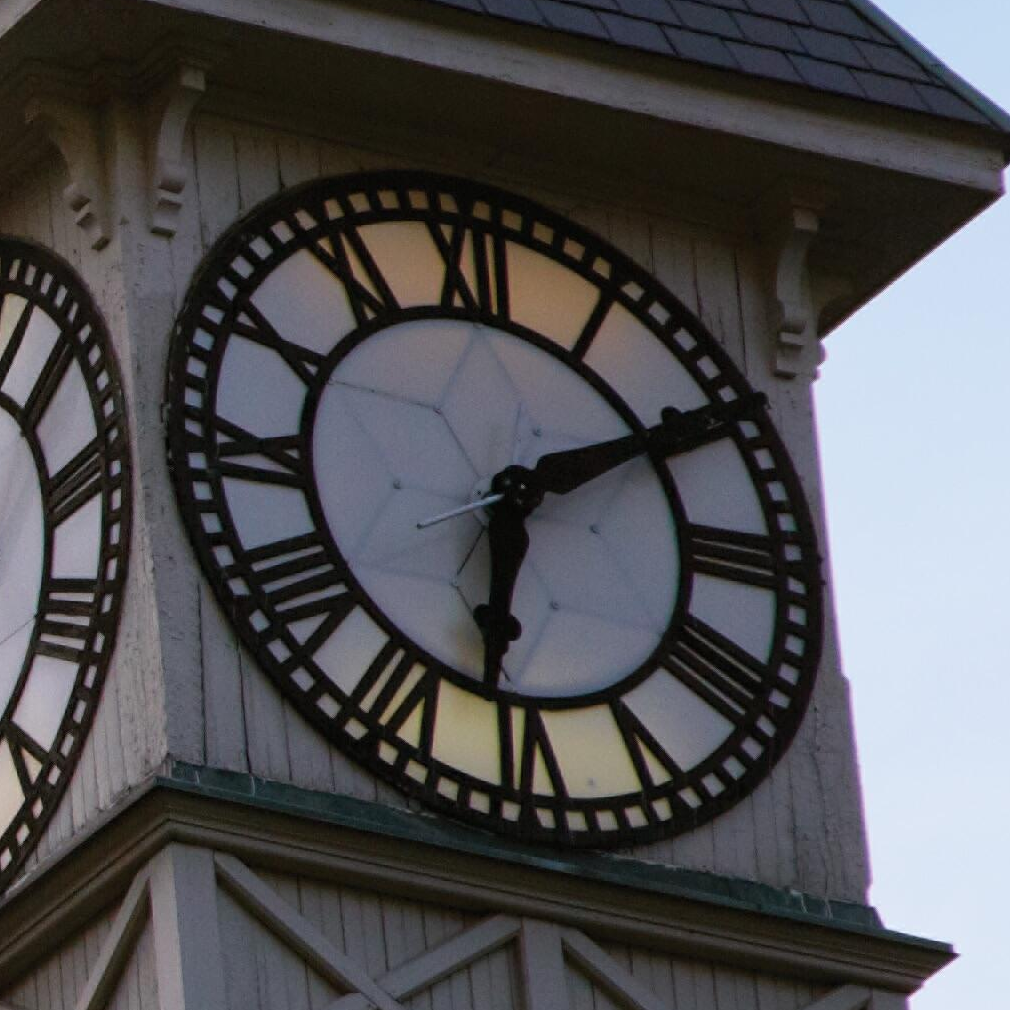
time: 6:10
